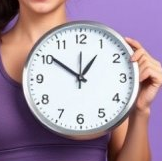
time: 12:50
